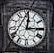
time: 12:14
